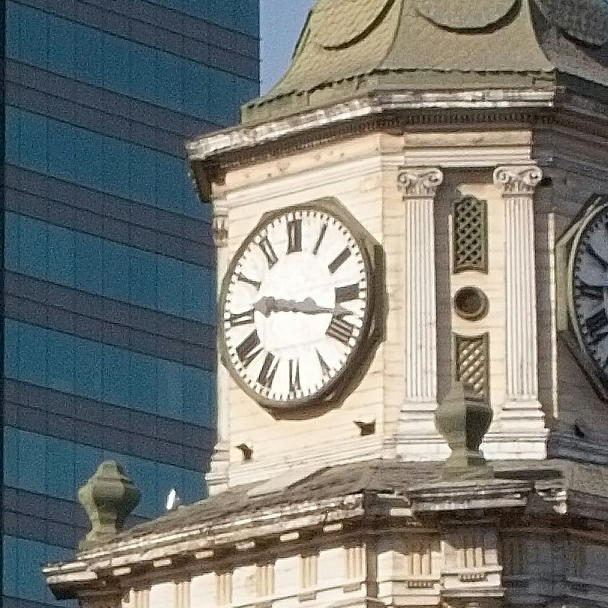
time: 9:17
